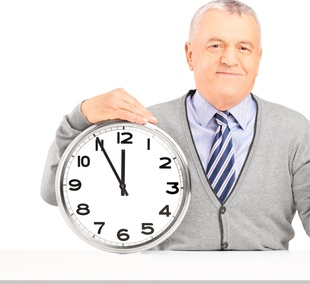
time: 11:55
